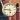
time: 5:46
